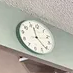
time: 11:21
